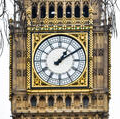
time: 1:09
